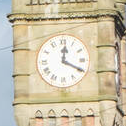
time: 12:19
